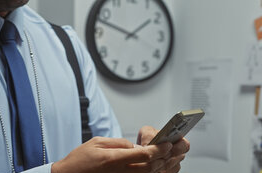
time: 1:47
